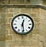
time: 12:28
